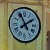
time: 1:55
